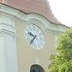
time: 9:36
